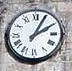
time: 2:04
